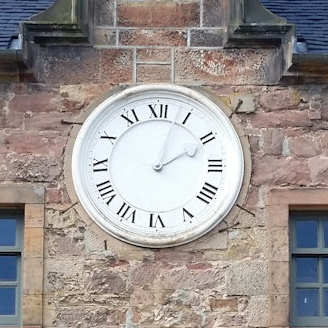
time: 2:03
